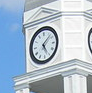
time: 5:07
